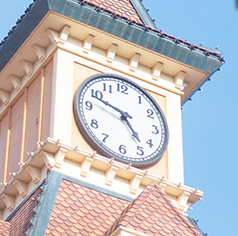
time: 4:48
